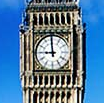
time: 8:59
